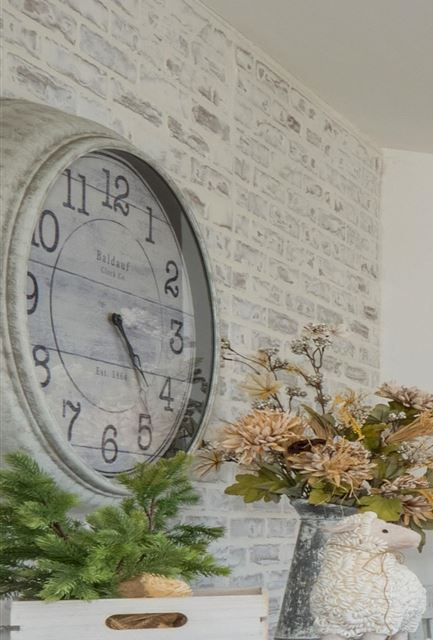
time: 4:23
